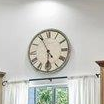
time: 5:55
